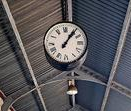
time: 1:06
